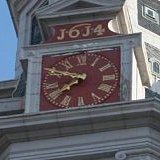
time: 7:49
